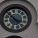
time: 3:52
